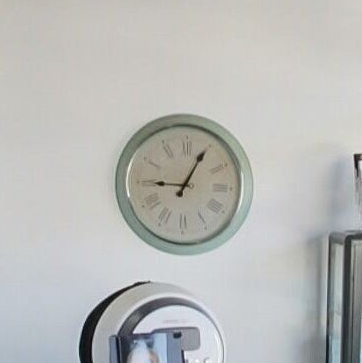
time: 9:04
